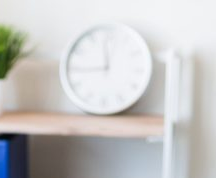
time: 11:44
